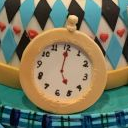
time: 5:00
